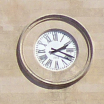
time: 2:18
